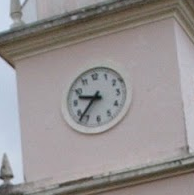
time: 9:37
